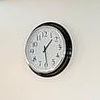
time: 1:29
